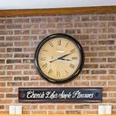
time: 3:11
